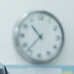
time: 10:36
